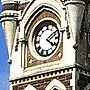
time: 4:09
